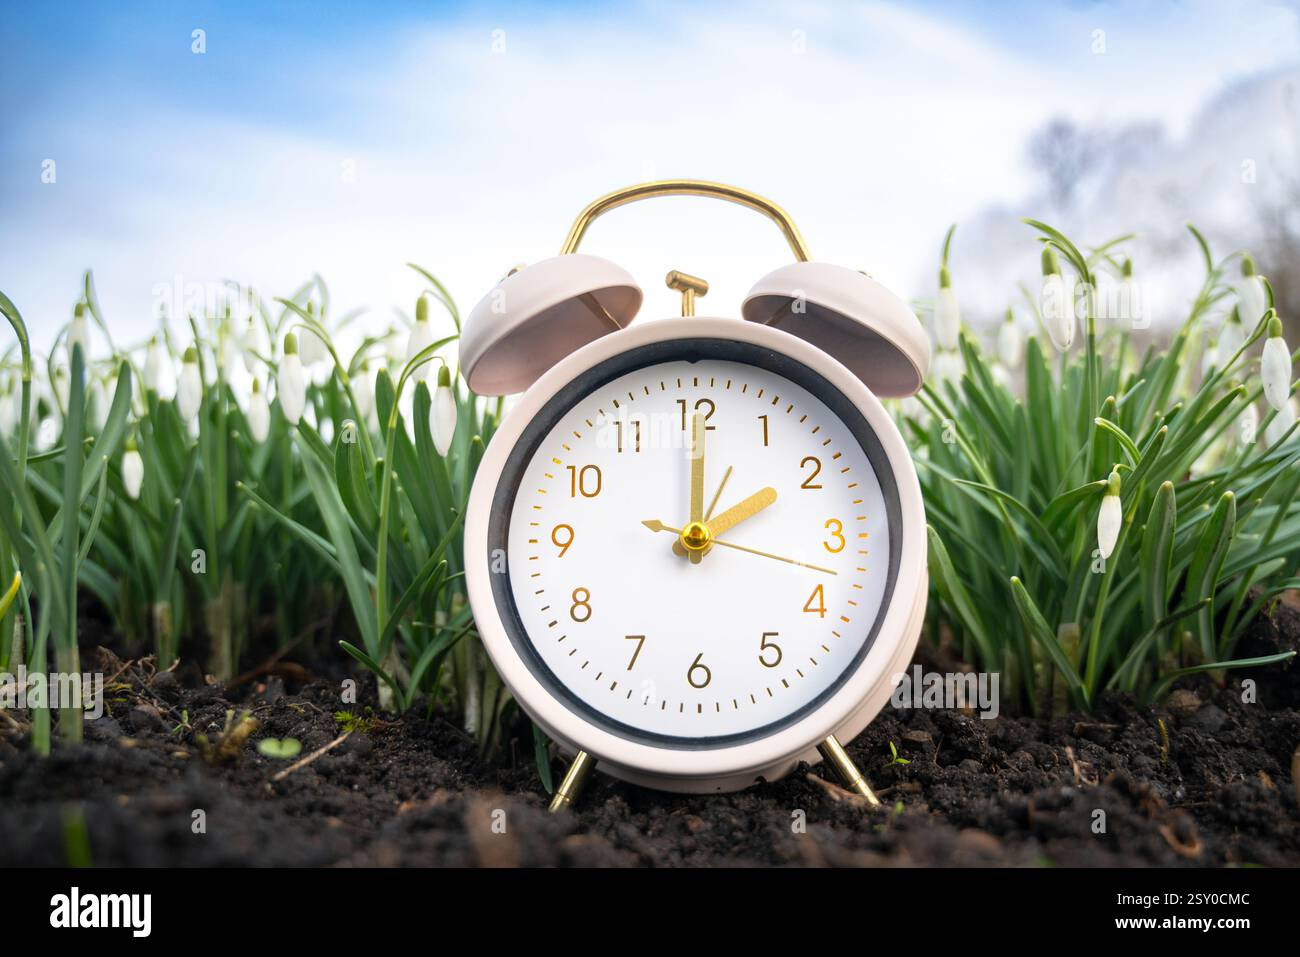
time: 2:00
